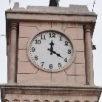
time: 4:00
